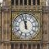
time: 11:57
